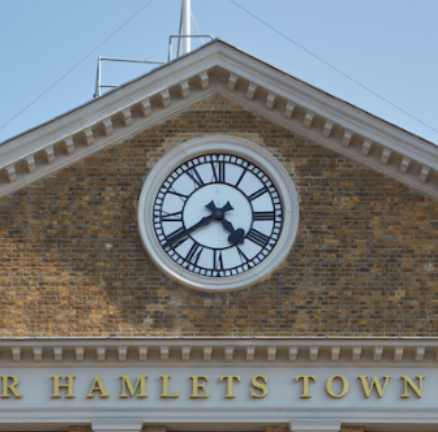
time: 4:39
